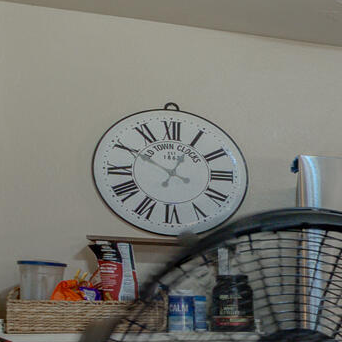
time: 12:49
